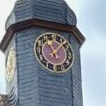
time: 11:07
